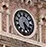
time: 5:20
